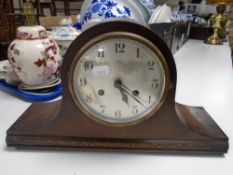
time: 5:22
